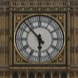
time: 5:52
